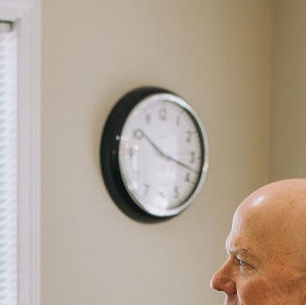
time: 10:17
